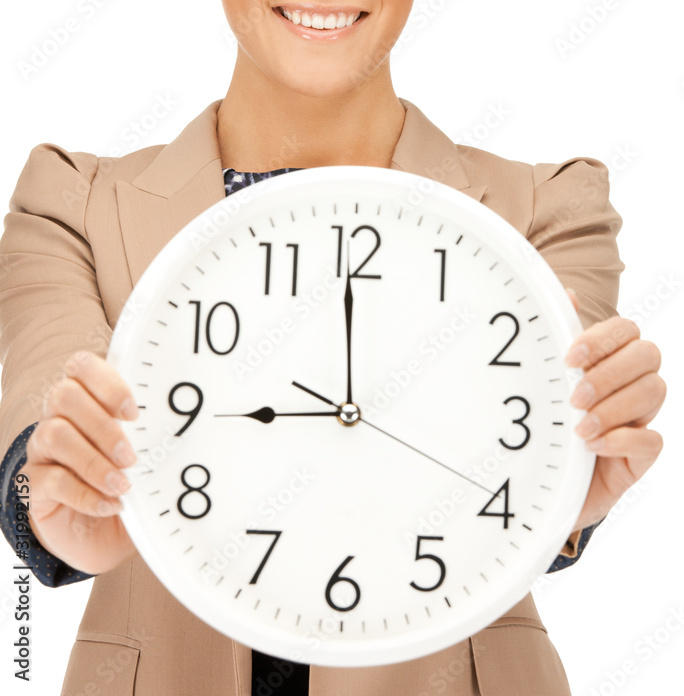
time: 8:59
